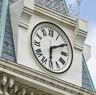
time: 6:10
